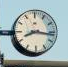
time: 8:16
